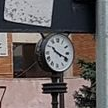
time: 10:18
